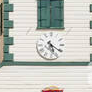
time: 5:21
